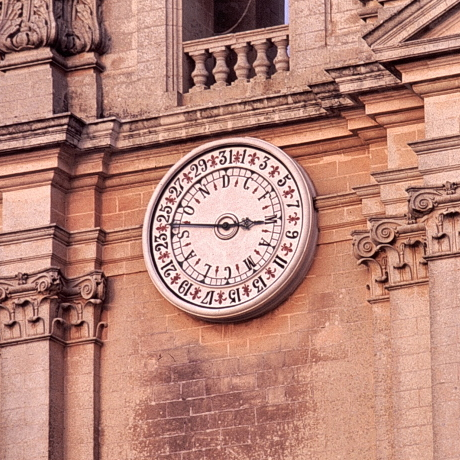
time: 2:46
